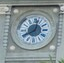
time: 8:02
